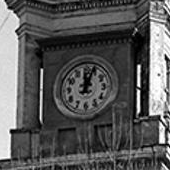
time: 12:03
